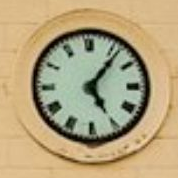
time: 5:06
